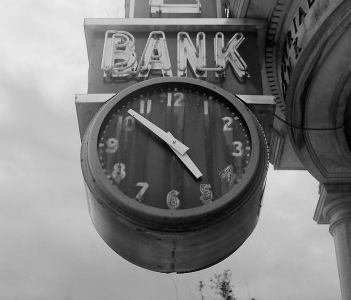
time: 4:52
